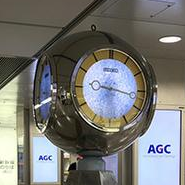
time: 9:17
